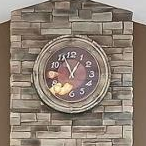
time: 12:56
